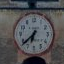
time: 6:38
